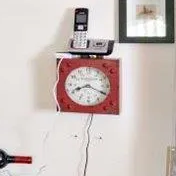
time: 8:19
